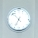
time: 6:52
